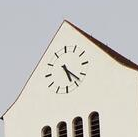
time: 5:22
